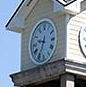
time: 9:34
